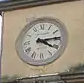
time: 4:13
